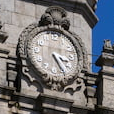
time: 3:24
